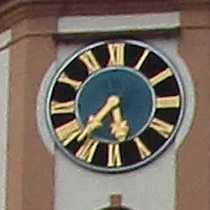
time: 5:37
